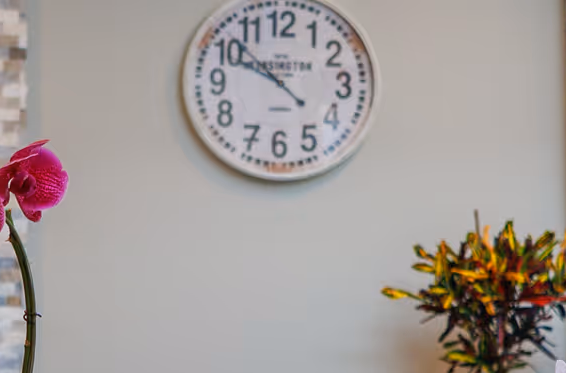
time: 9:51
